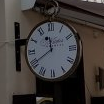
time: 11:39
